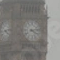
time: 4:13
